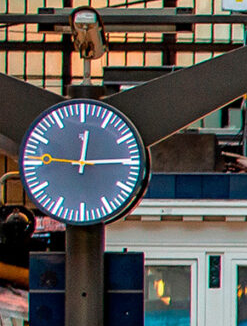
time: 12:14
